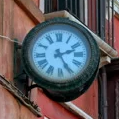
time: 2:25
